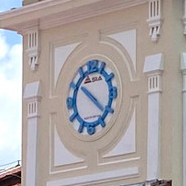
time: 4:21
